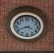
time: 3:42
